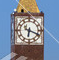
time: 6:18
